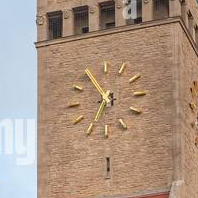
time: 6:54
